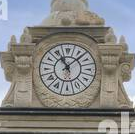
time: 11:07
